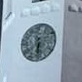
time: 6:29
